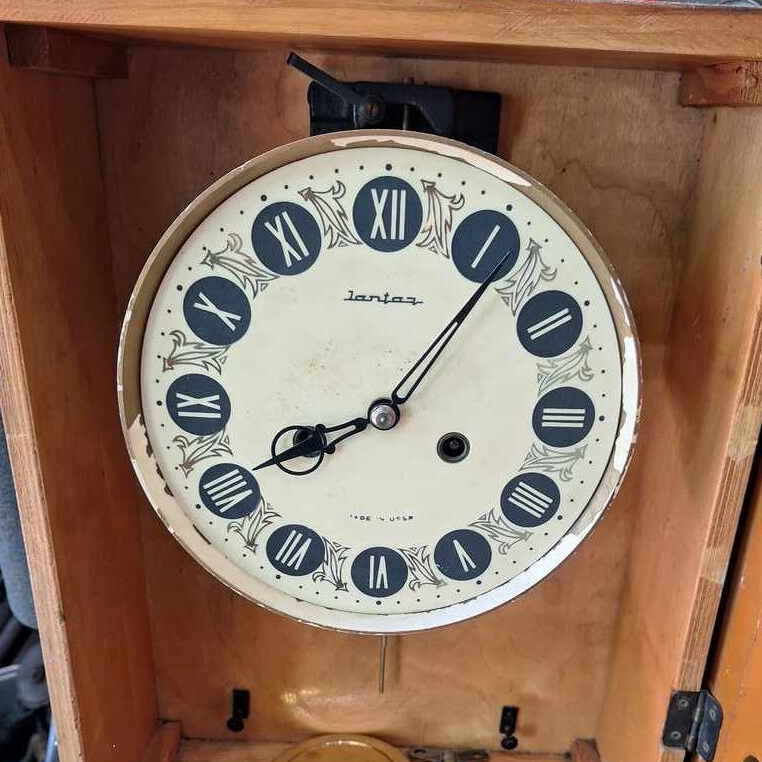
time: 8:06
